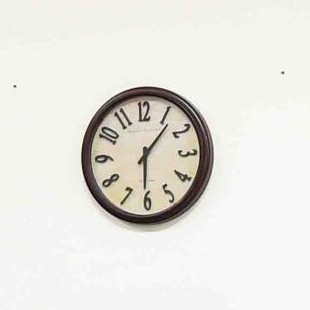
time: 6:06
